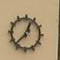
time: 12:37
